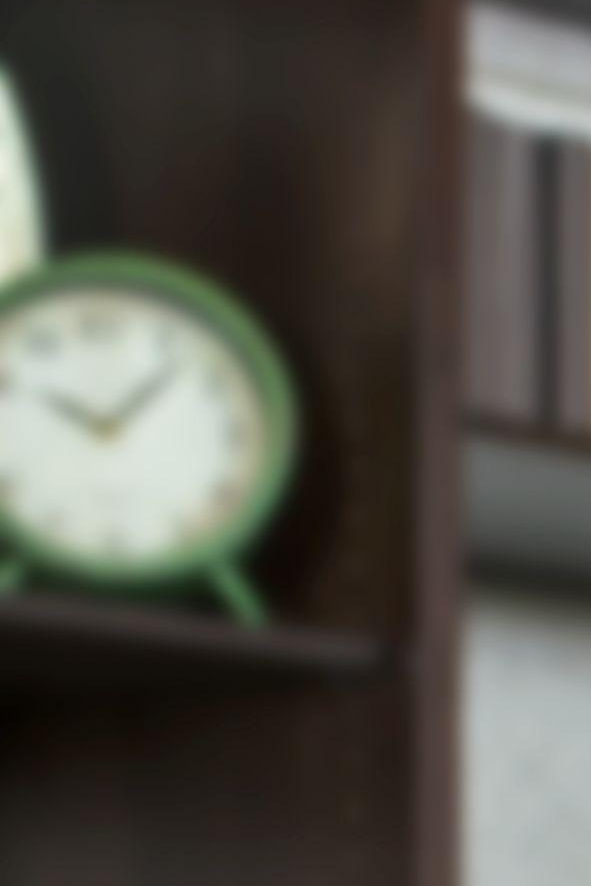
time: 10:07
